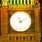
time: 11:10
